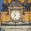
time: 10:36
